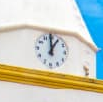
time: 12:59
